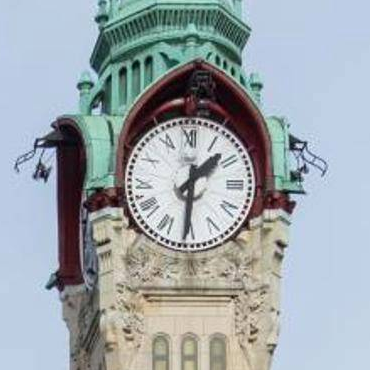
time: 1:30
